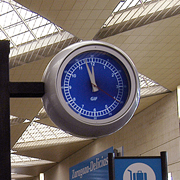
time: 11:57
